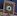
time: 8:27
